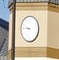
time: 9:45
